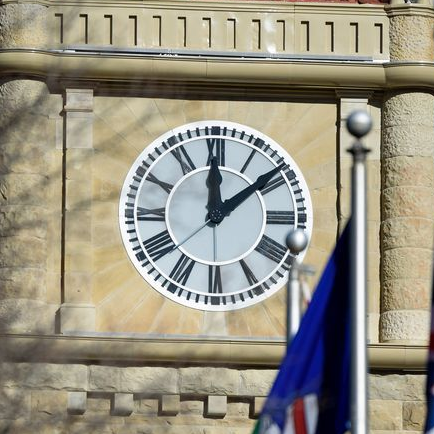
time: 12:08
